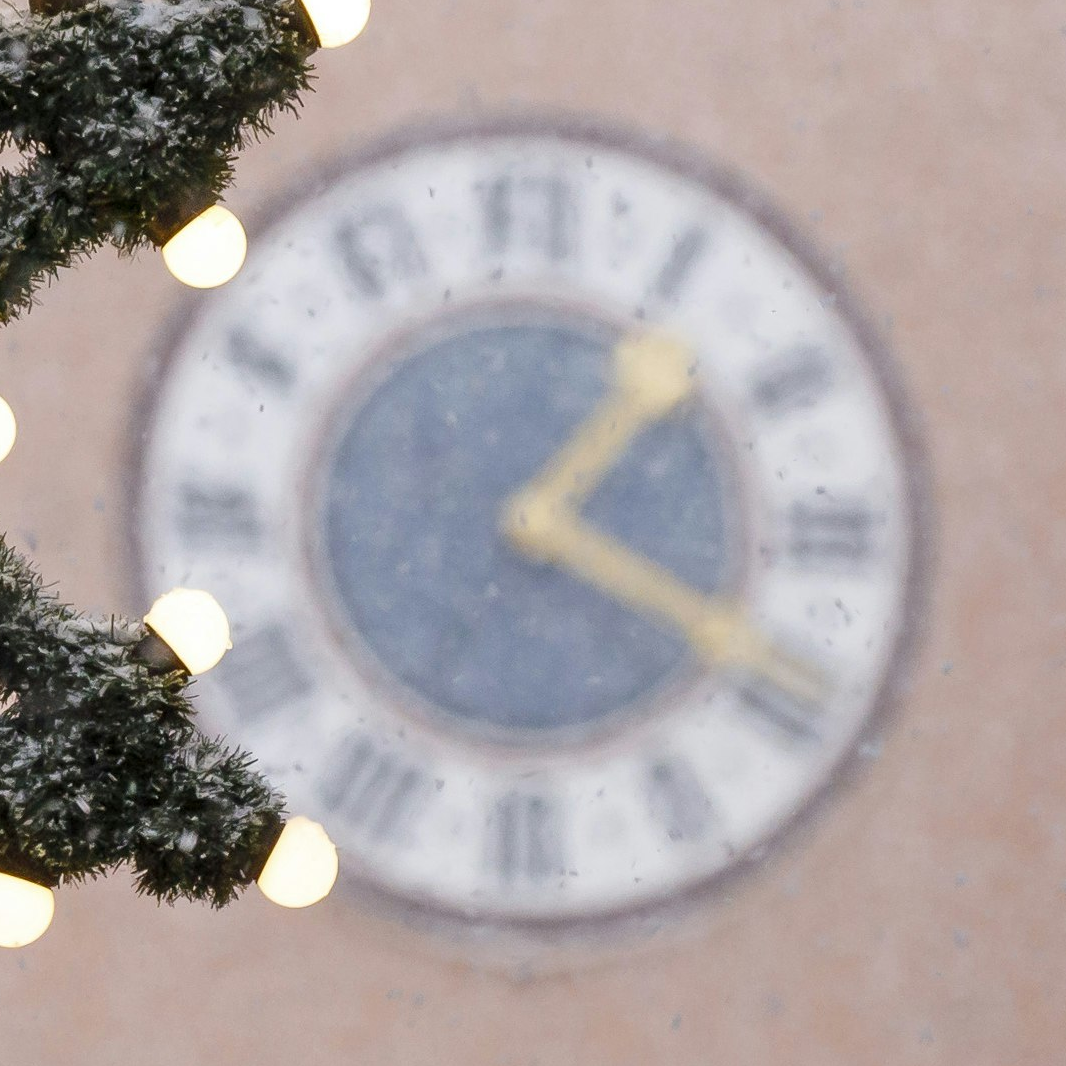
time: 1:19
